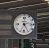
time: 5:14
